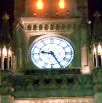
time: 9:25
